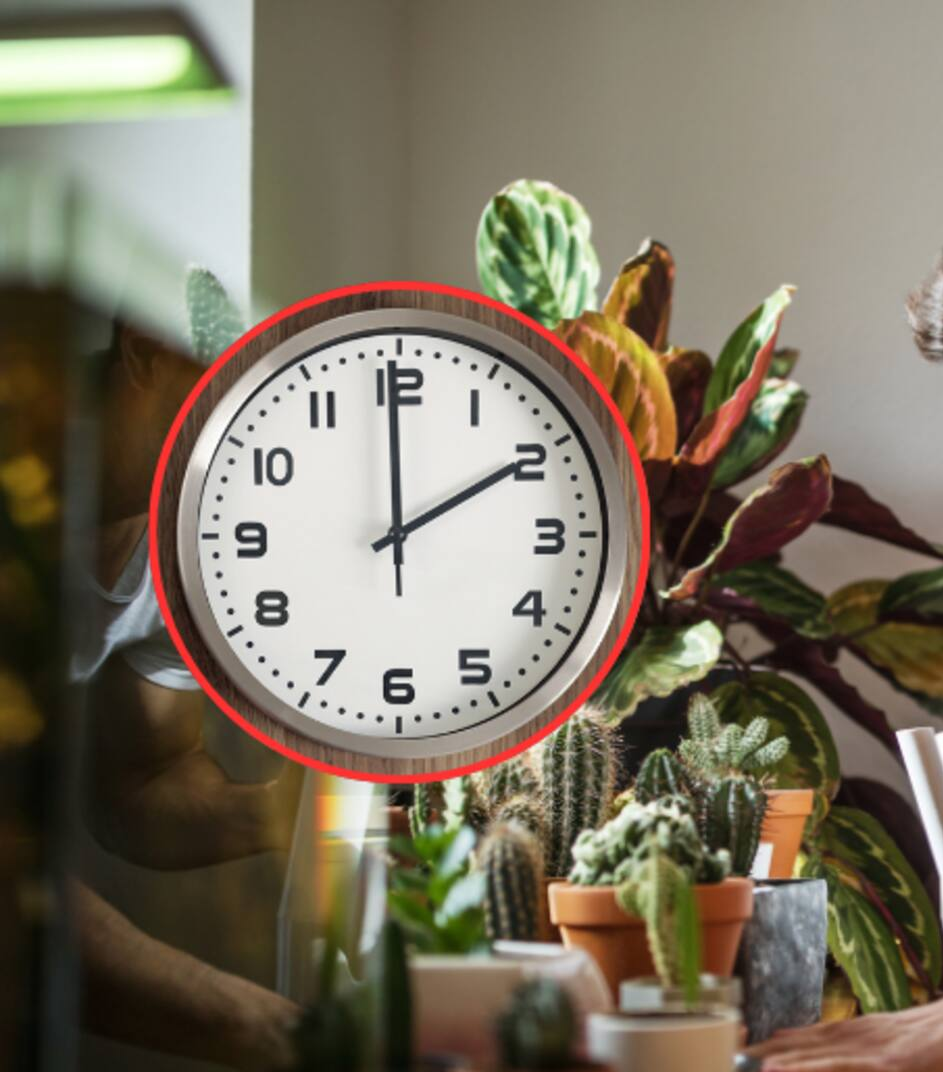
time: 1:59
